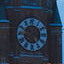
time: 2:24
